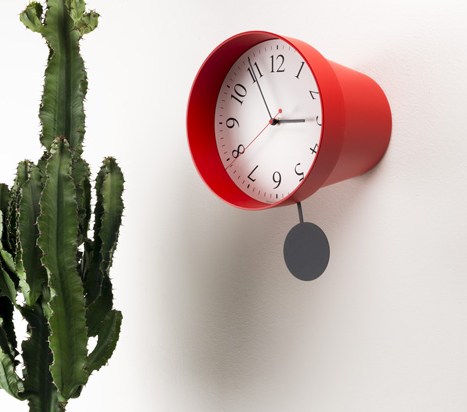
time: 2:54
